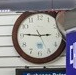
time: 2:45
